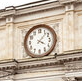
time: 4:07
